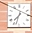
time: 7:32
